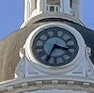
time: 3:34
